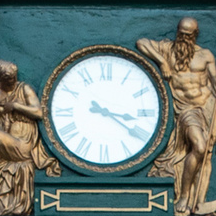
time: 3:20
